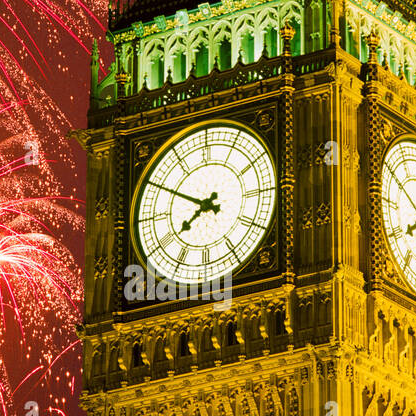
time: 7:49
